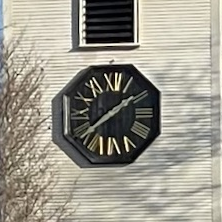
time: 1:39
